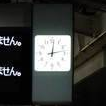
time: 12:12
